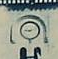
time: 9:12
